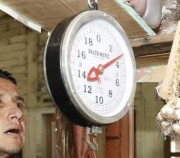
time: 8:12
